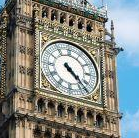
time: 4:22
